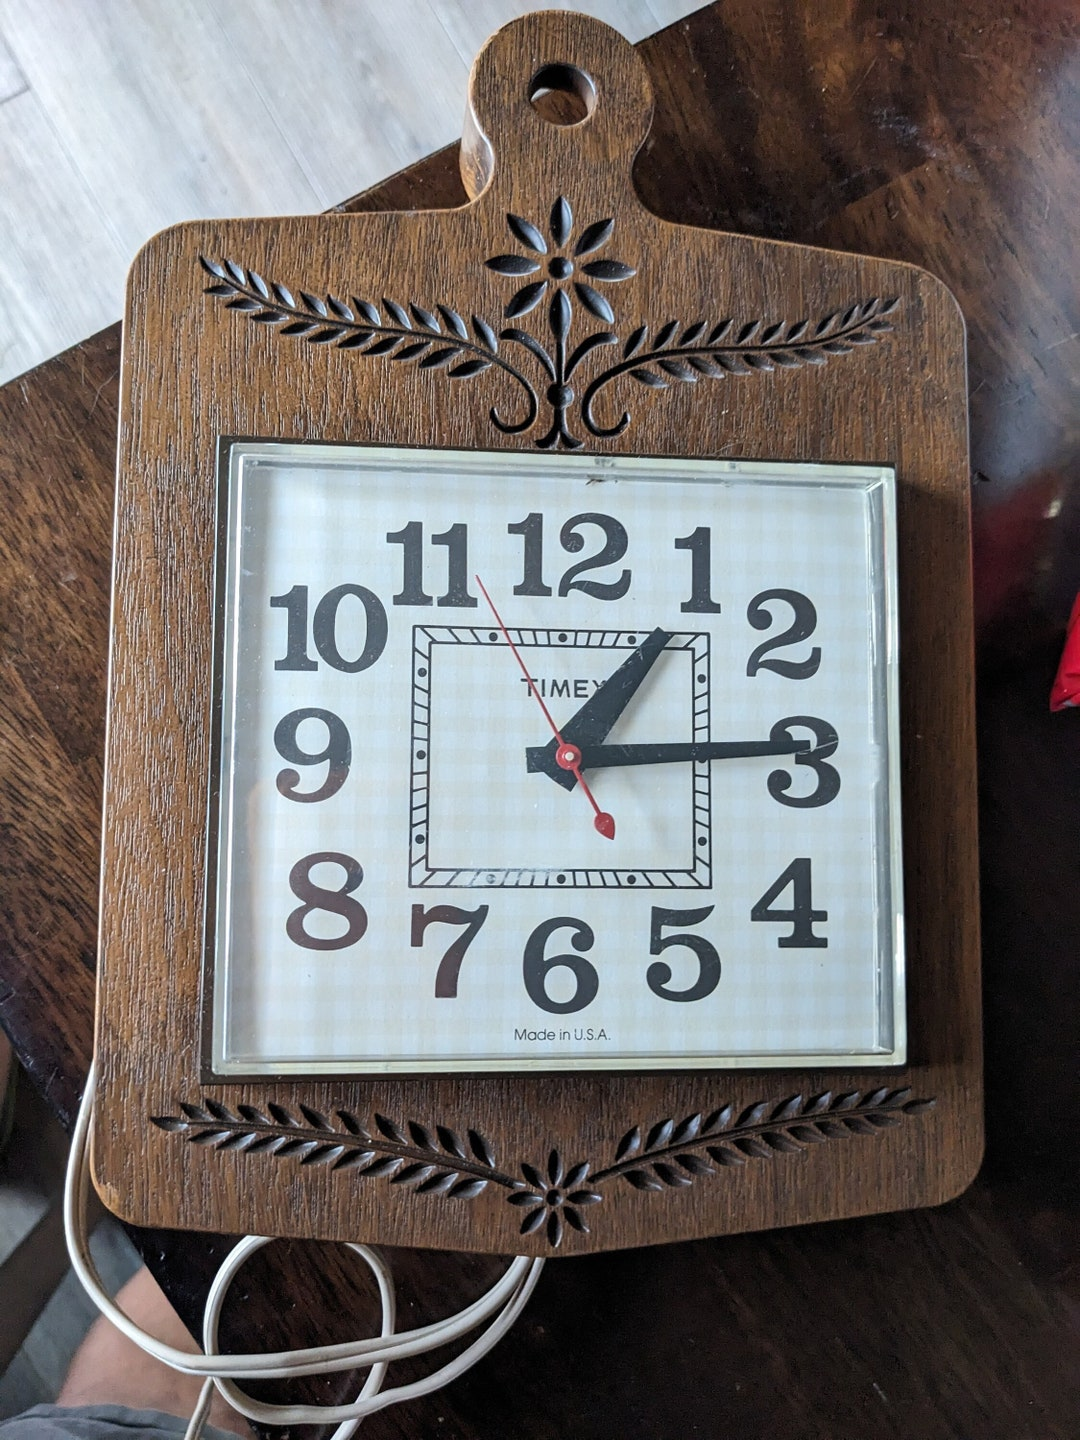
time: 1:14
